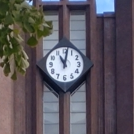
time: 11:02
